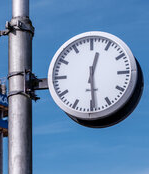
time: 12:29
